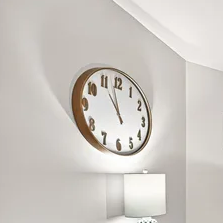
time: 10:57
